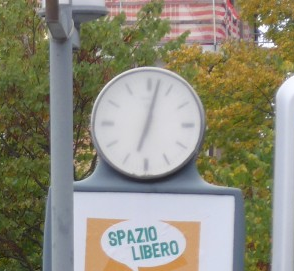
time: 12:32
